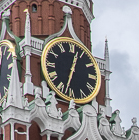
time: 12:32
